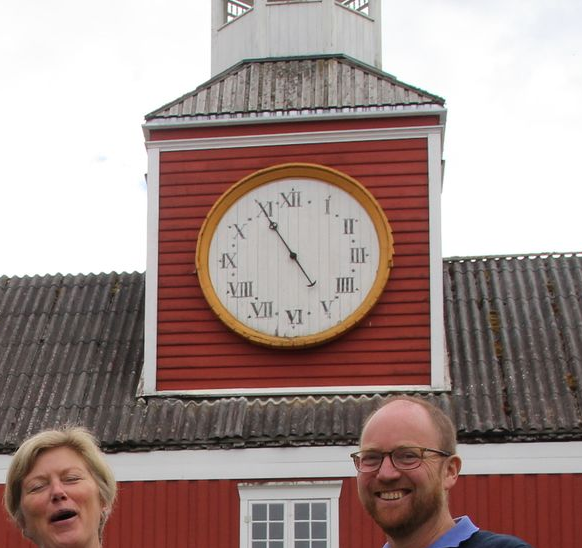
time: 4:54
